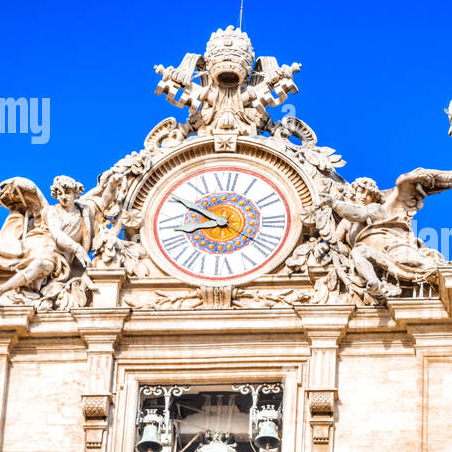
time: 8:50
